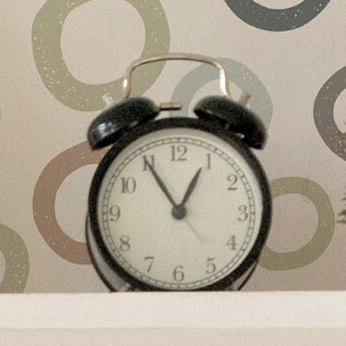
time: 12:54
